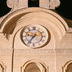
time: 9:36
